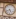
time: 4:42
